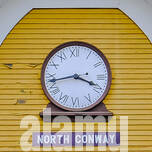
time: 3:43
